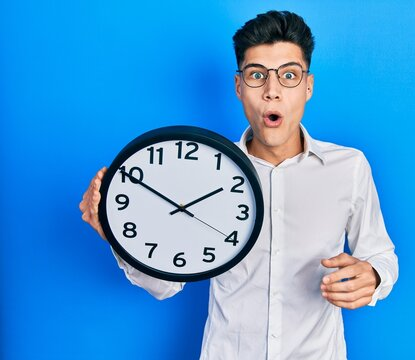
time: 1:49
